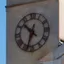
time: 10:33
